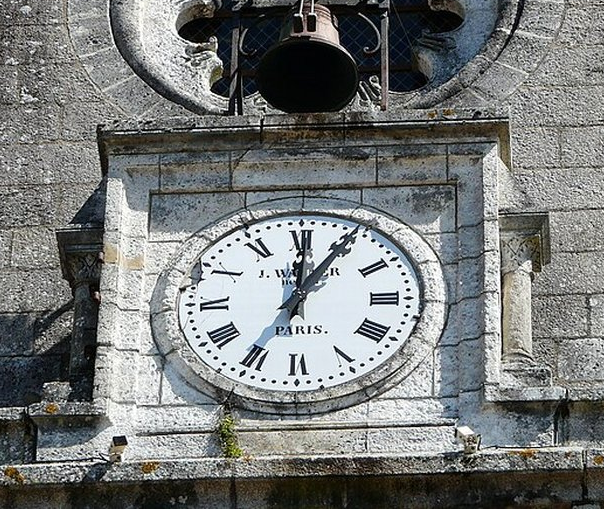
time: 12:05
